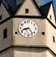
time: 8:23
